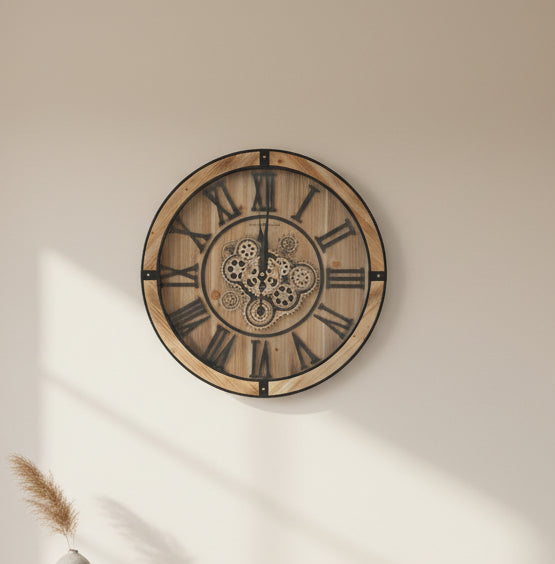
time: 12:00
